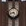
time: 4:42
